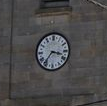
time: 3:36
